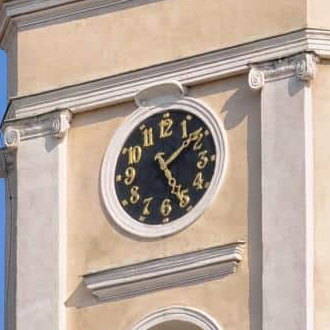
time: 5:08
